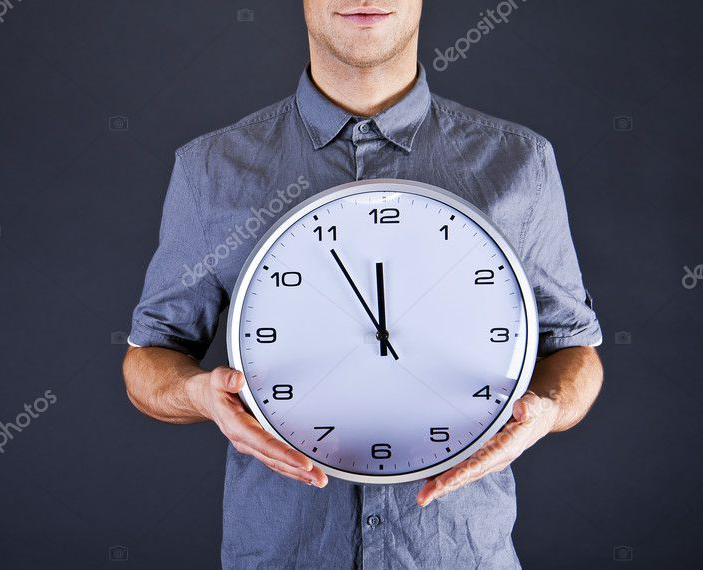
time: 11:54
